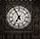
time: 6:55
